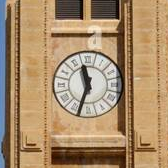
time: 11:33
